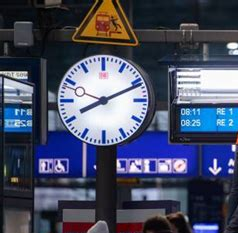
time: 8:11
